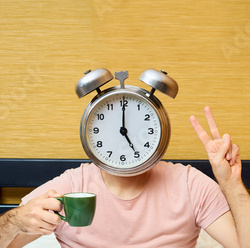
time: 5:00
